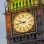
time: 9:43
